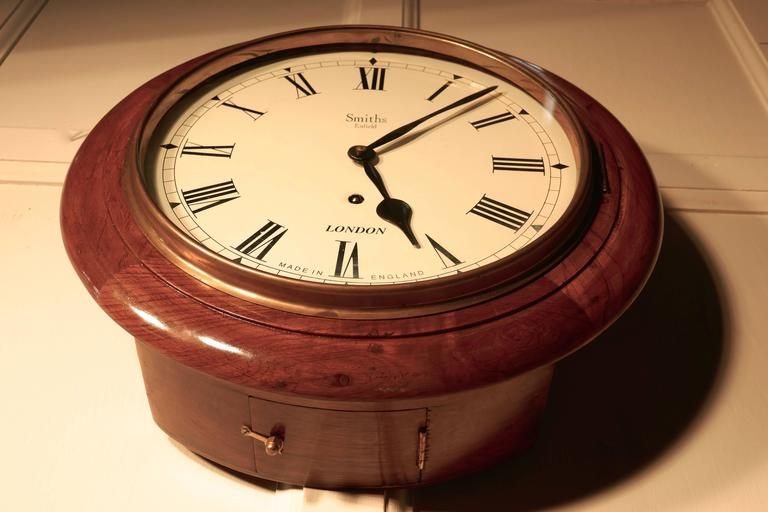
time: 5:07
